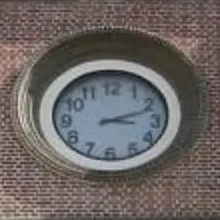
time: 3:11
